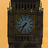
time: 7:35
